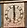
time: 5:59
